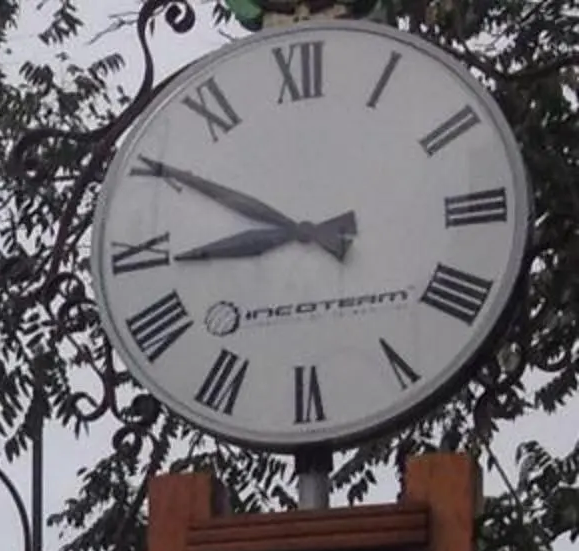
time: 8:50
